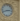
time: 2:41
